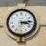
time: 3:13
